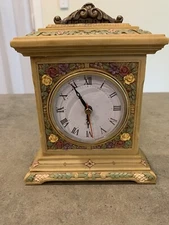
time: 5:54
